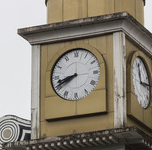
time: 8:41
